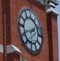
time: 1:41
